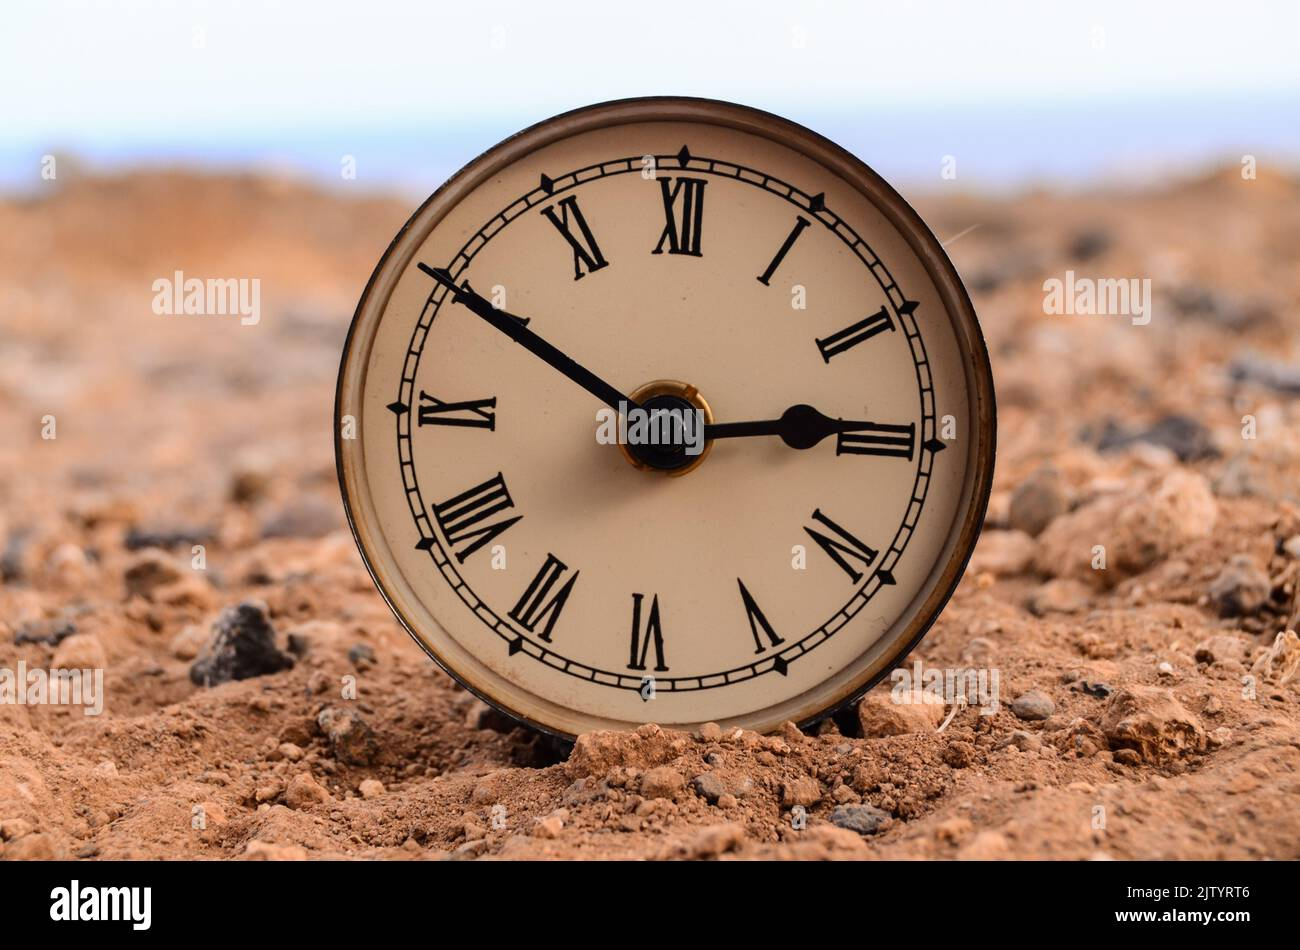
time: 2:49
